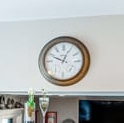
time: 12:48
